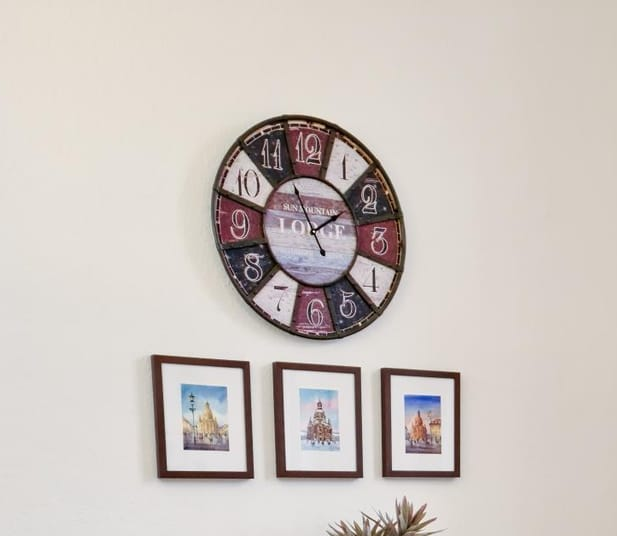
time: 1:56
